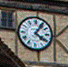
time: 4:04
